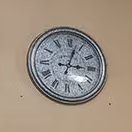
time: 3:02
